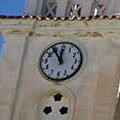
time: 11:54
